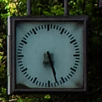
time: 5:27
